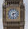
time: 2:29
